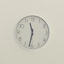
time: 11:32
